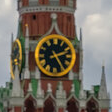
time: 2:24
